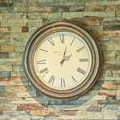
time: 2:02
